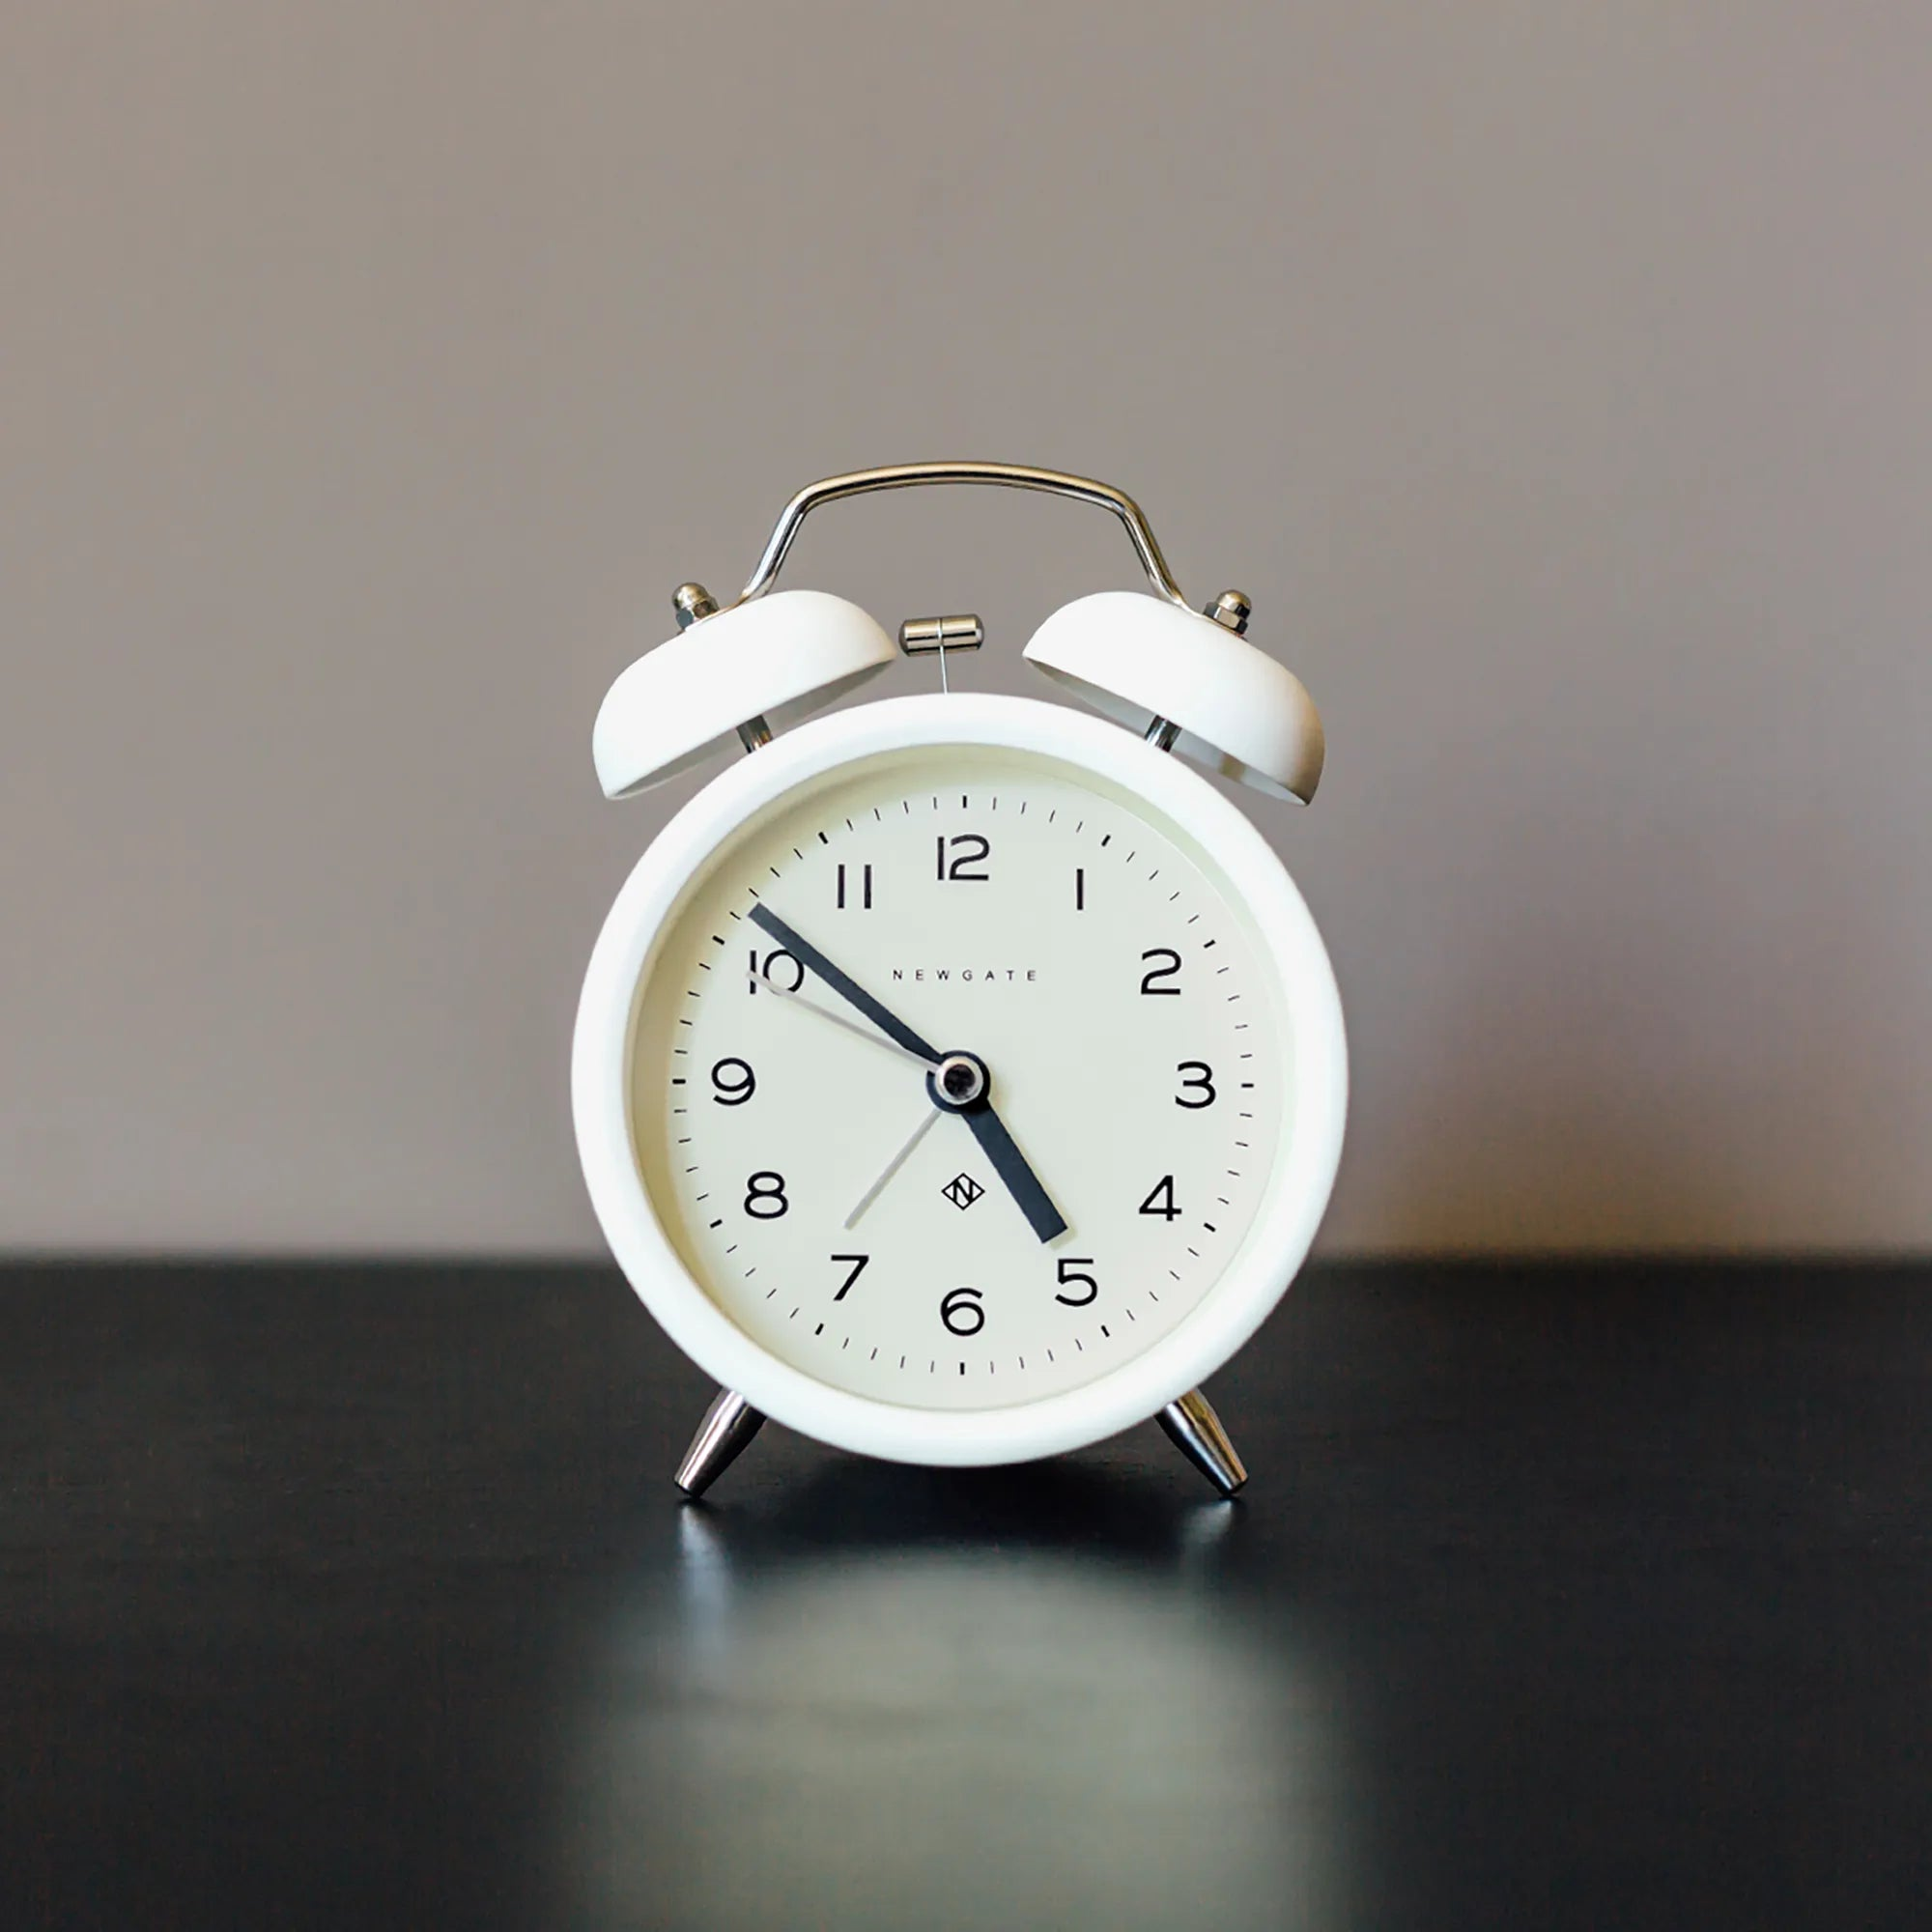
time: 4:51
